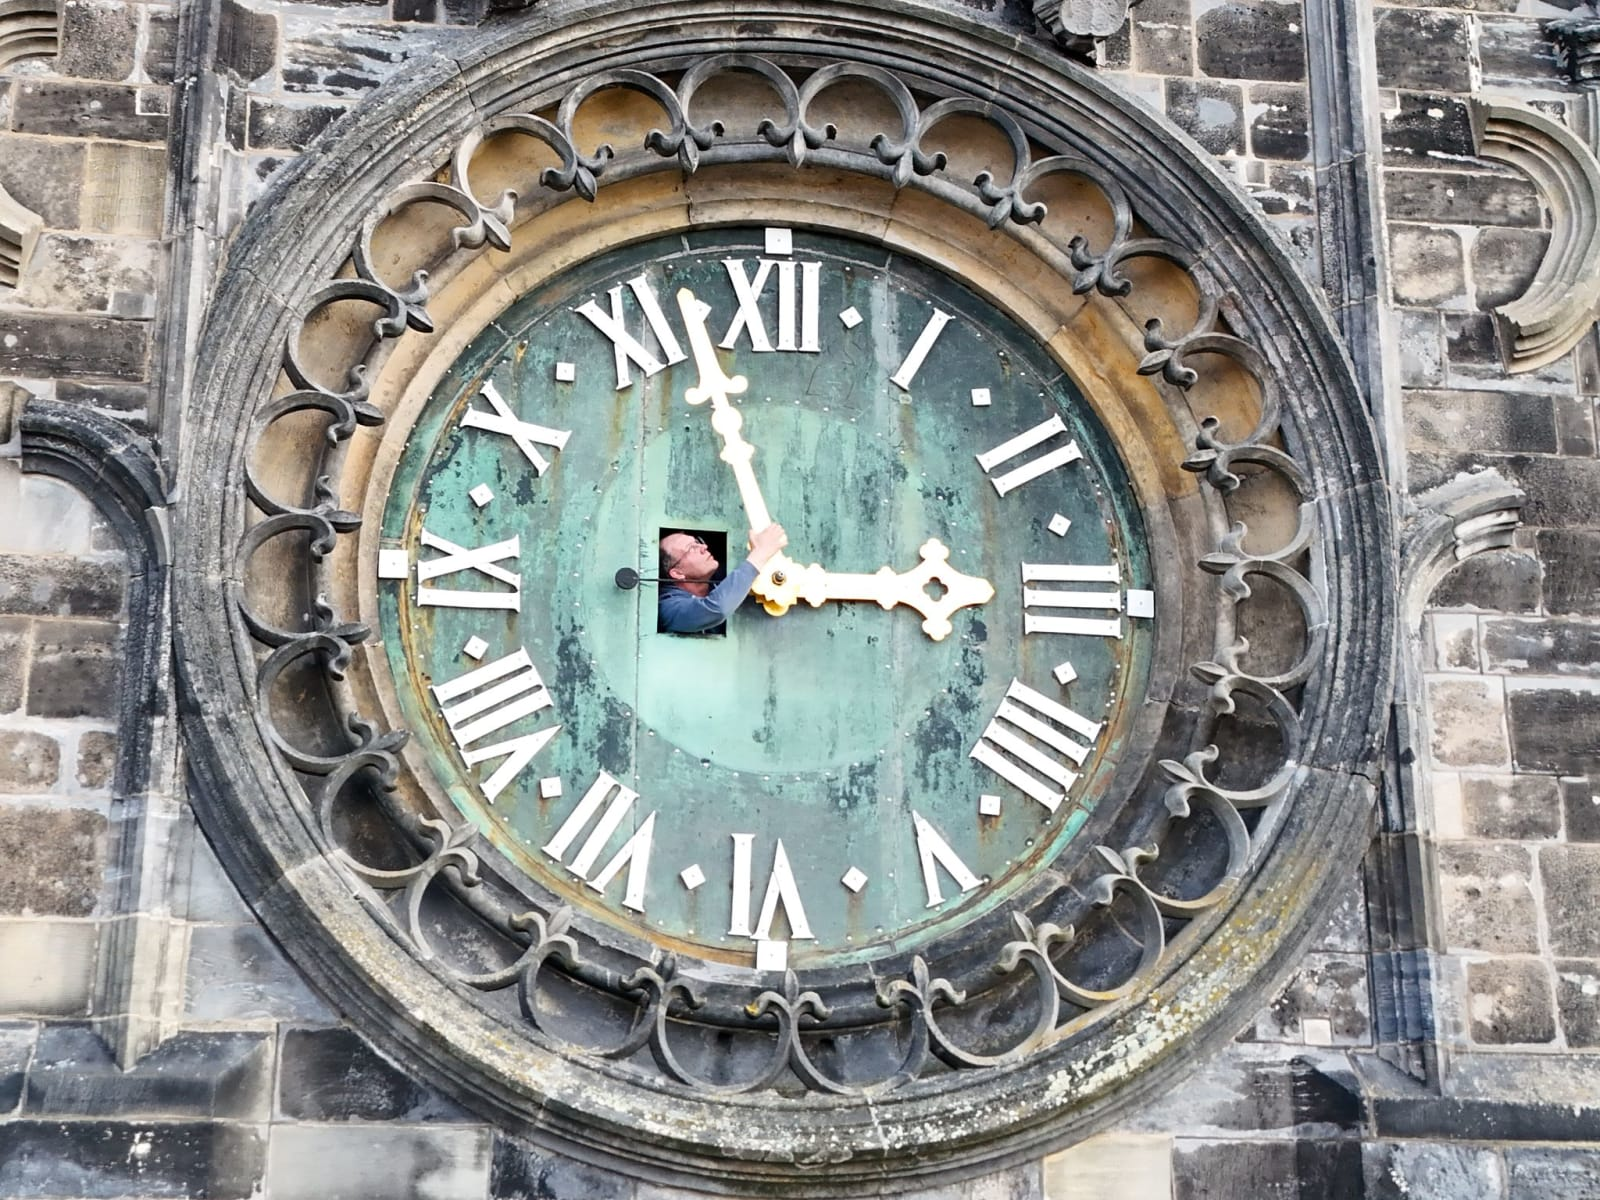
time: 2:57
